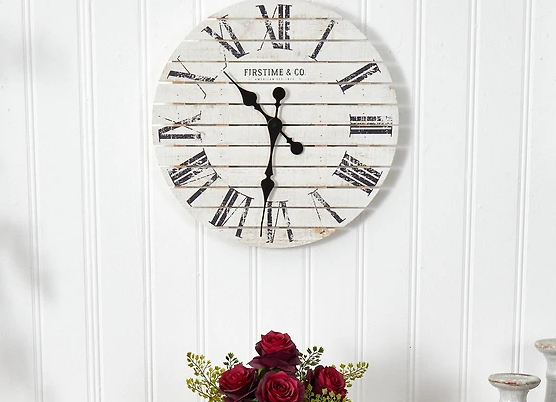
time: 10:31
